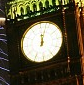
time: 12:03
